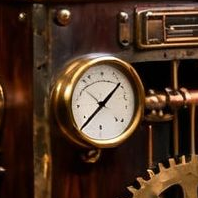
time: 1:38
